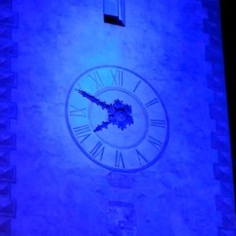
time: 7:49
